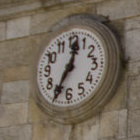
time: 12:34
